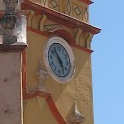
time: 4:52
